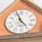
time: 4:56
